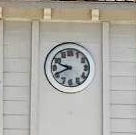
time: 9:41
